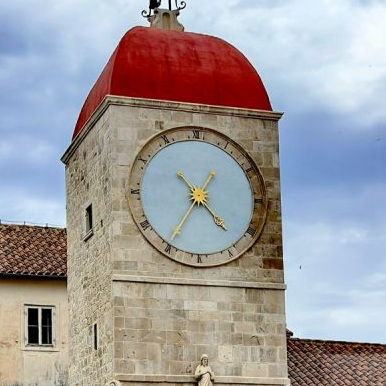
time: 4:35
